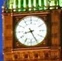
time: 8:25
